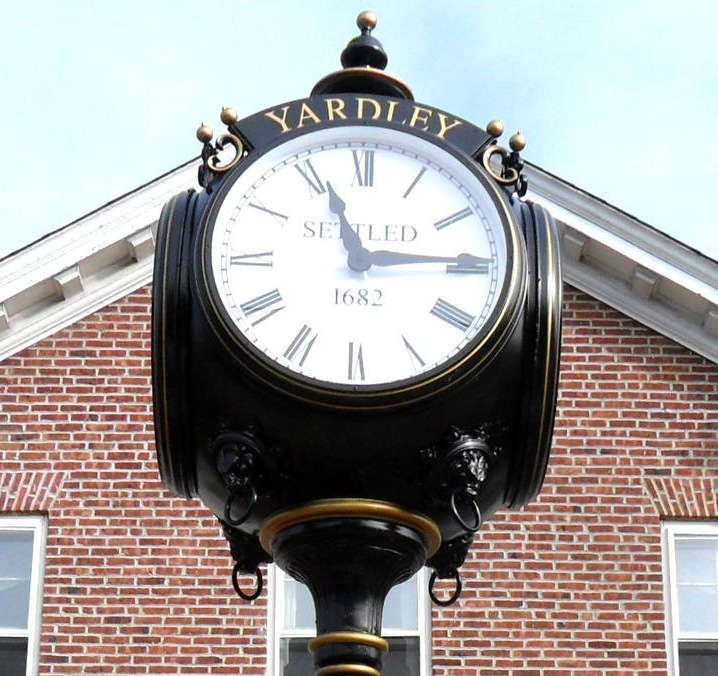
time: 11:14
